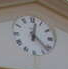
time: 12:22
